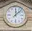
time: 12:07
